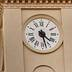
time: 4:27
